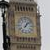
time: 1:07
